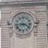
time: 3:43
